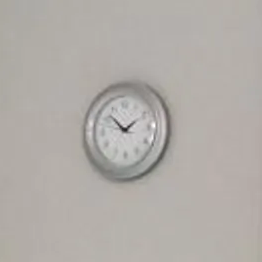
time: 1:52
